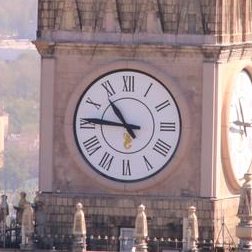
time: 10:45
